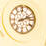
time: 2:12
